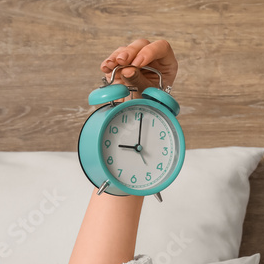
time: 9:00
